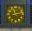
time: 11:13
